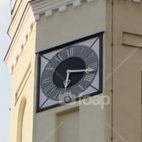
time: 6:17
